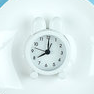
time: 8:00
